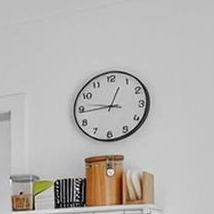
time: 12:44
